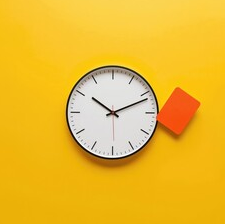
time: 10:11
